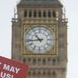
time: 10:43
